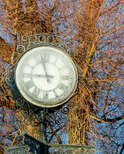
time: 8:57
